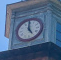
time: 4:59
